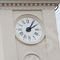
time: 2:05
